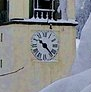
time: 10:23
